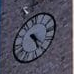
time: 4:26
